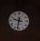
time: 9:32
